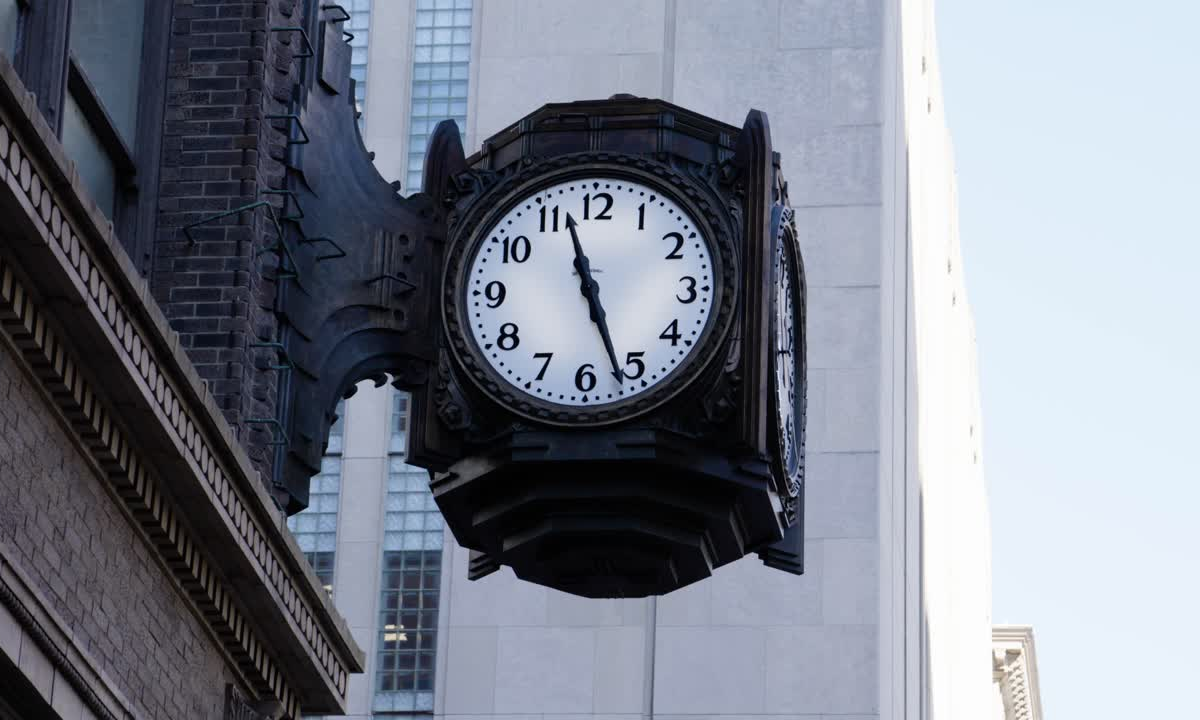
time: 11:26
